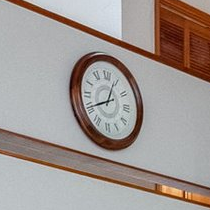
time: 12:40
